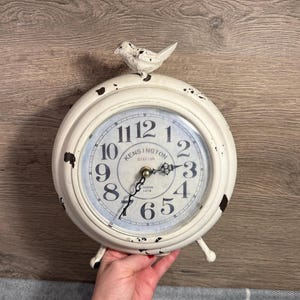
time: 2:34
